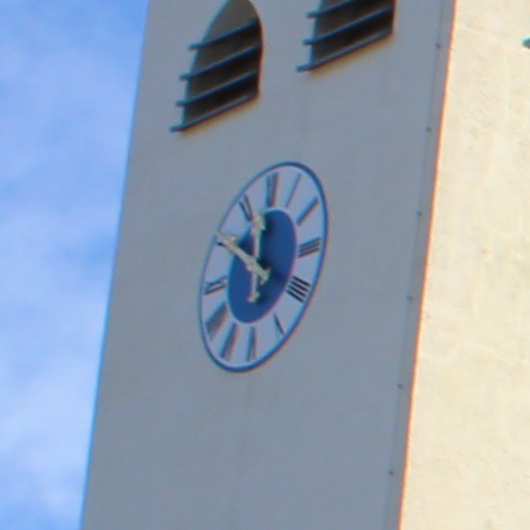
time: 11:50
